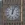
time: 12:03
